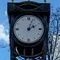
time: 2:03
